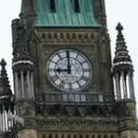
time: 8:59
